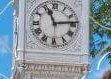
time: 11:13
